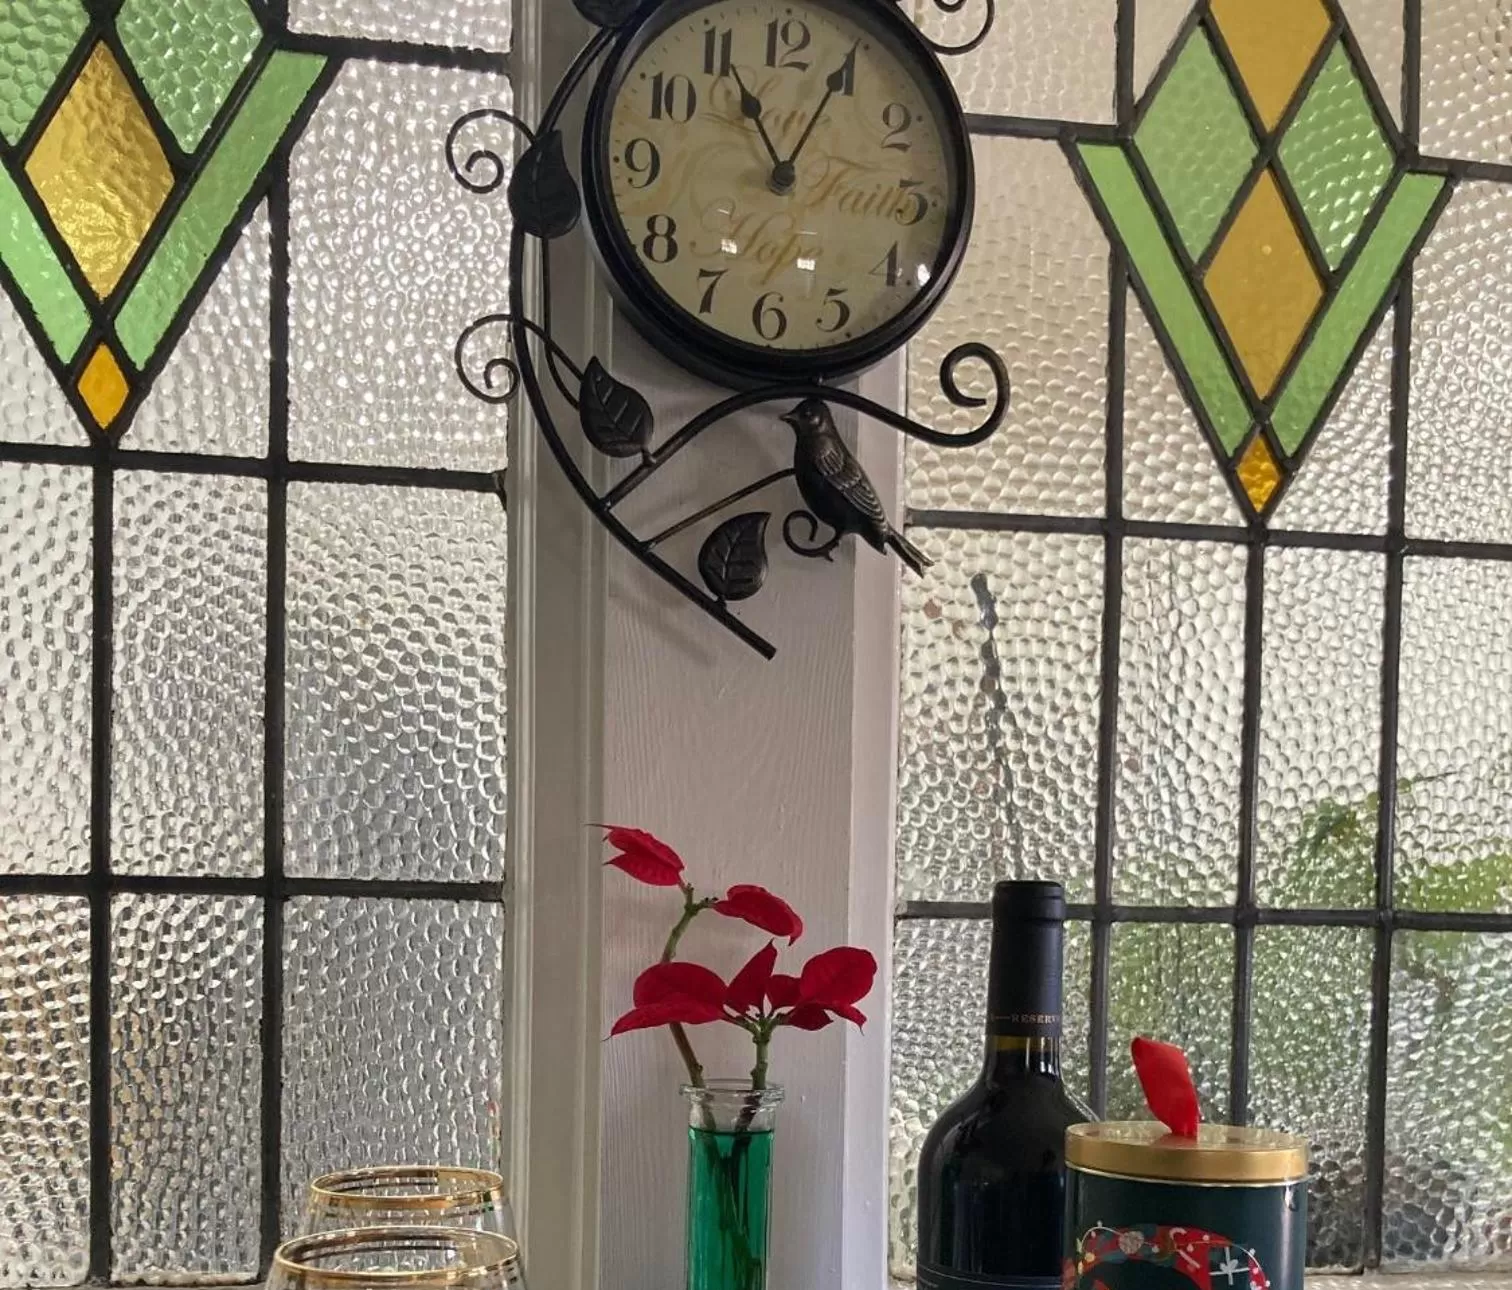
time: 11:04
